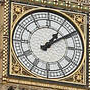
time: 1:09
